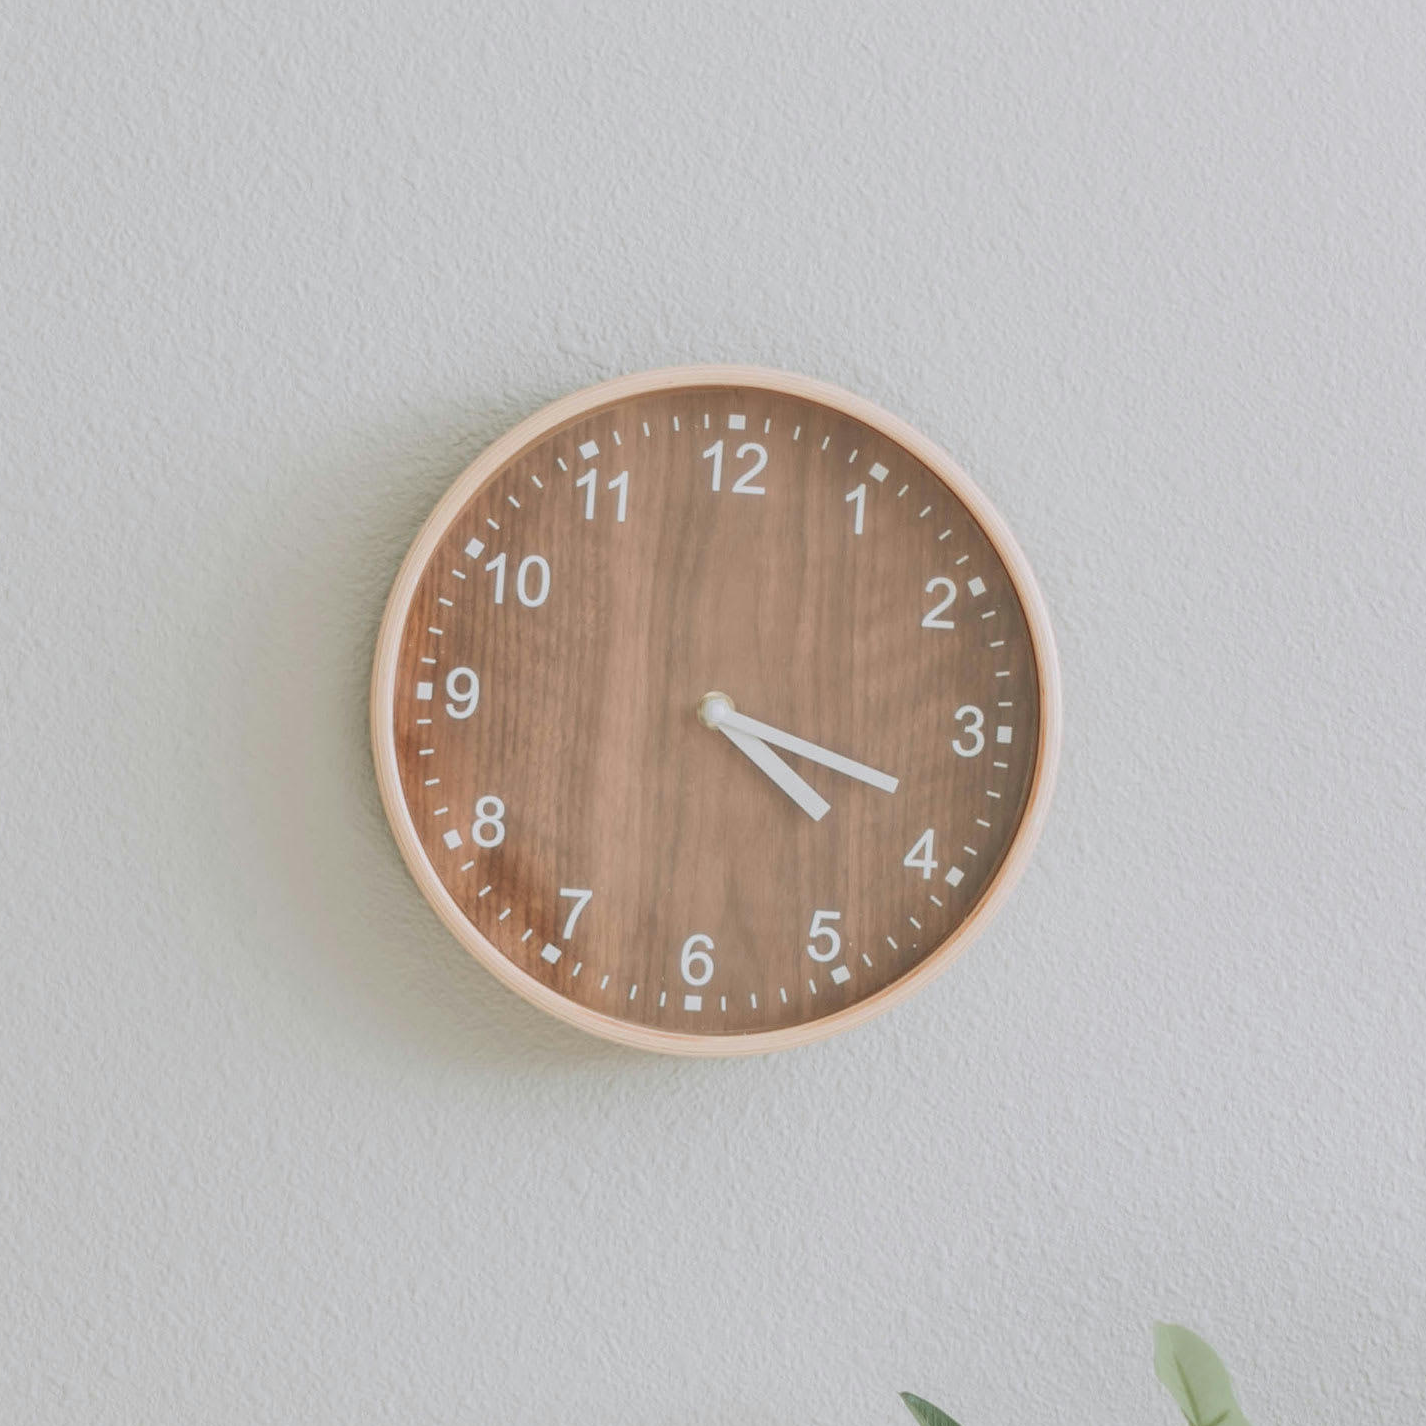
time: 4:18
